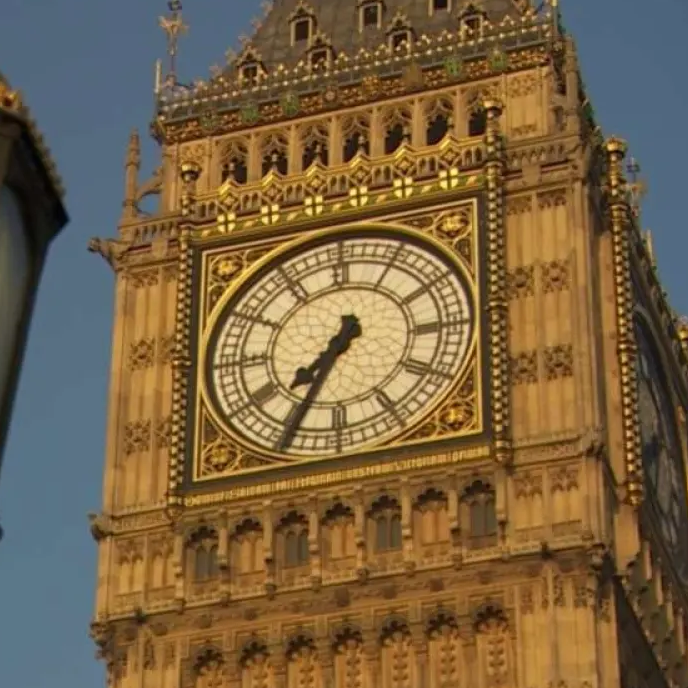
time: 7:34
